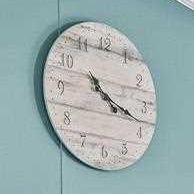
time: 10:18
